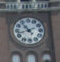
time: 10:42
